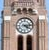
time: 4:13
